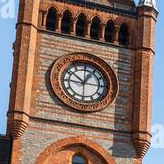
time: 12:51
